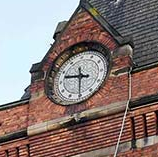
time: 9:30
